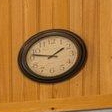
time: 1:47
